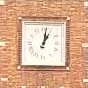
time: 1:01
